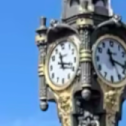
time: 11:17
